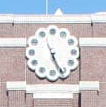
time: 5:26
